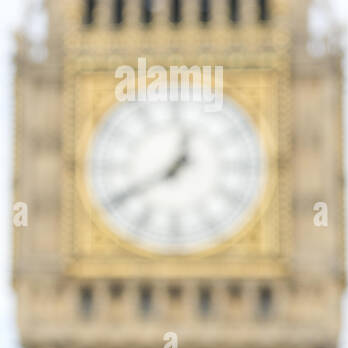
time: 12:40
